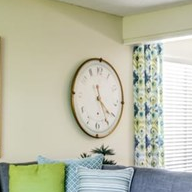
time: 11:21
